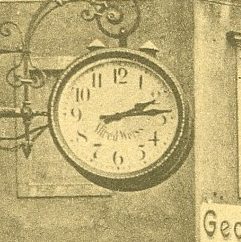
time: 2:13
